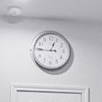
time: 12:45
